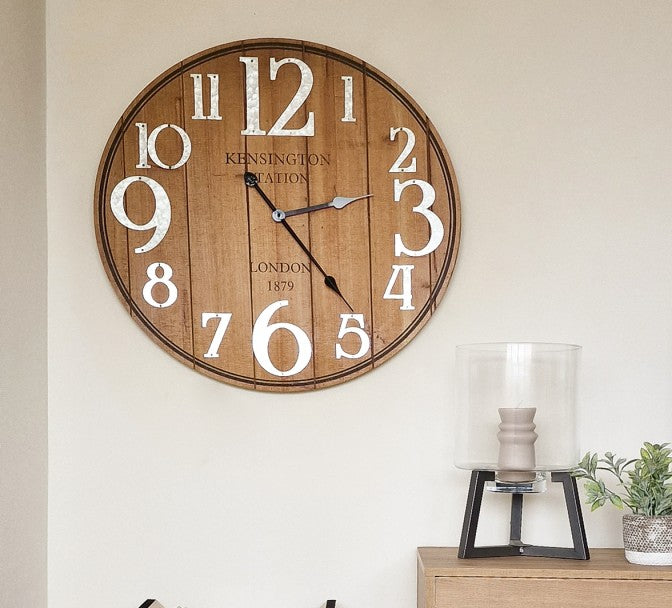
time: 2:23
